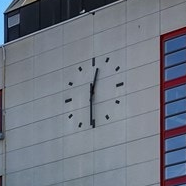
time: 12:30
